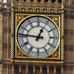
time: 12:46
